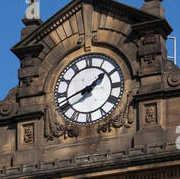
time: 1:42
